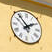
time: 1:53
